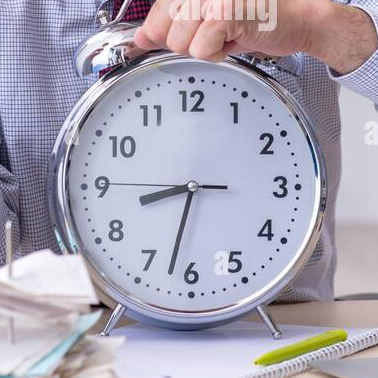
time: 8:32
